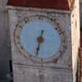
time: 6:32
